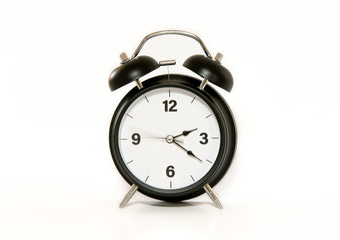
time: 2:20
